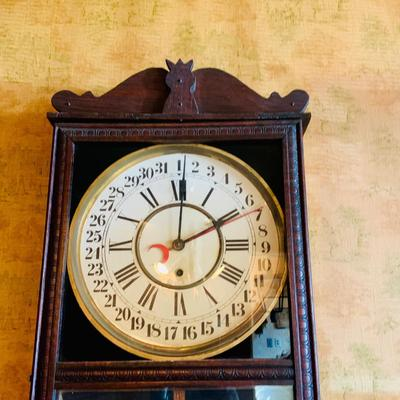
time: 2:00
